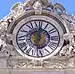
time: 12:28
